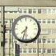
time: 7:32
